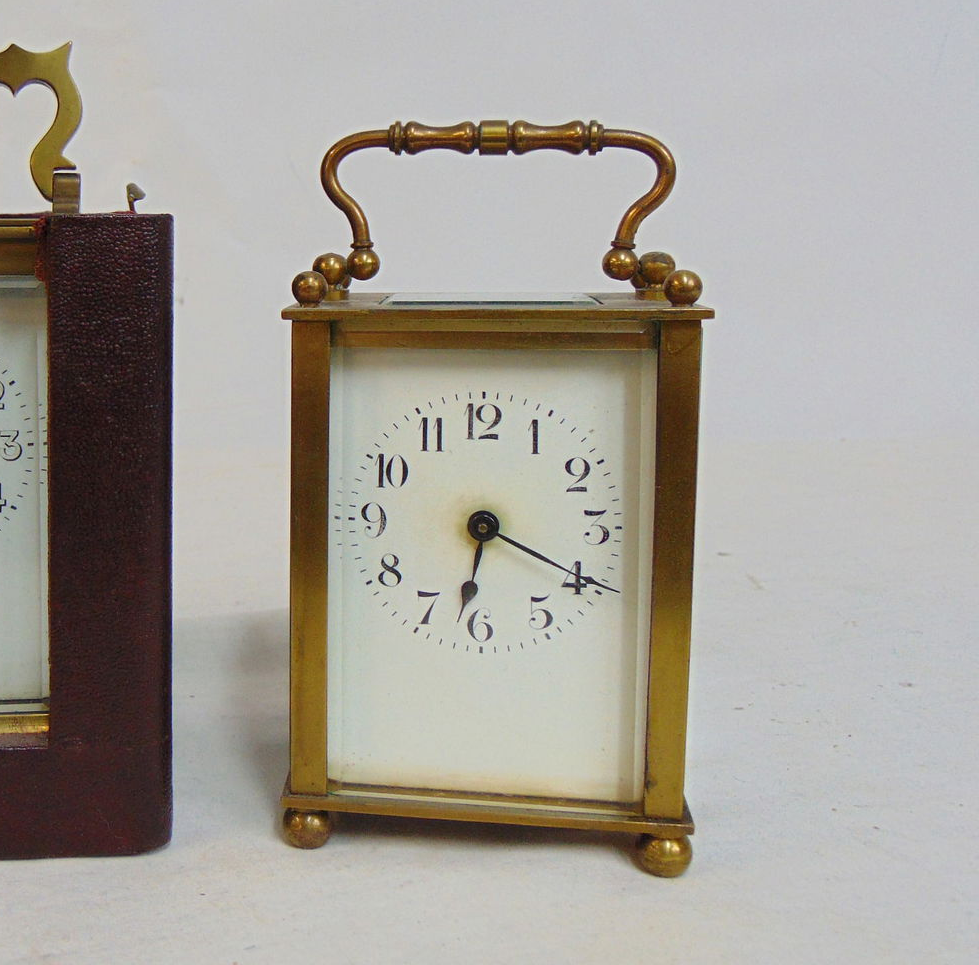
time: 6:18
